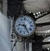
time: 9:25
